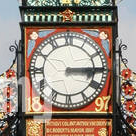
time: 3:14
